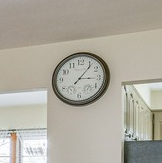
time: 3:06
